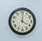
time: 4:01
